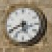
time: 5:40
